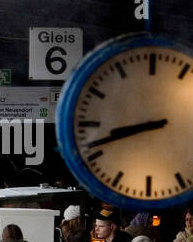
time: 8:42
